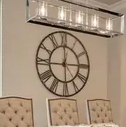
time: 12:14
